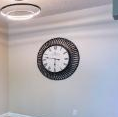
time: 5:46
